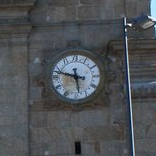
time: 5:47
